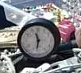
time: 11:32
